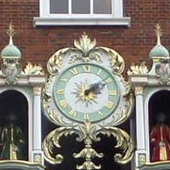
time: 2:09
